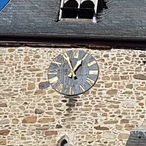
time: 12:57
